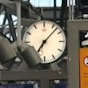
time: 7:07
